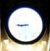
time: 8:45
